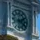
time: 2:21
